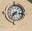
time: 7:15
